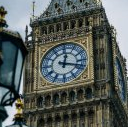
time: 12:17
